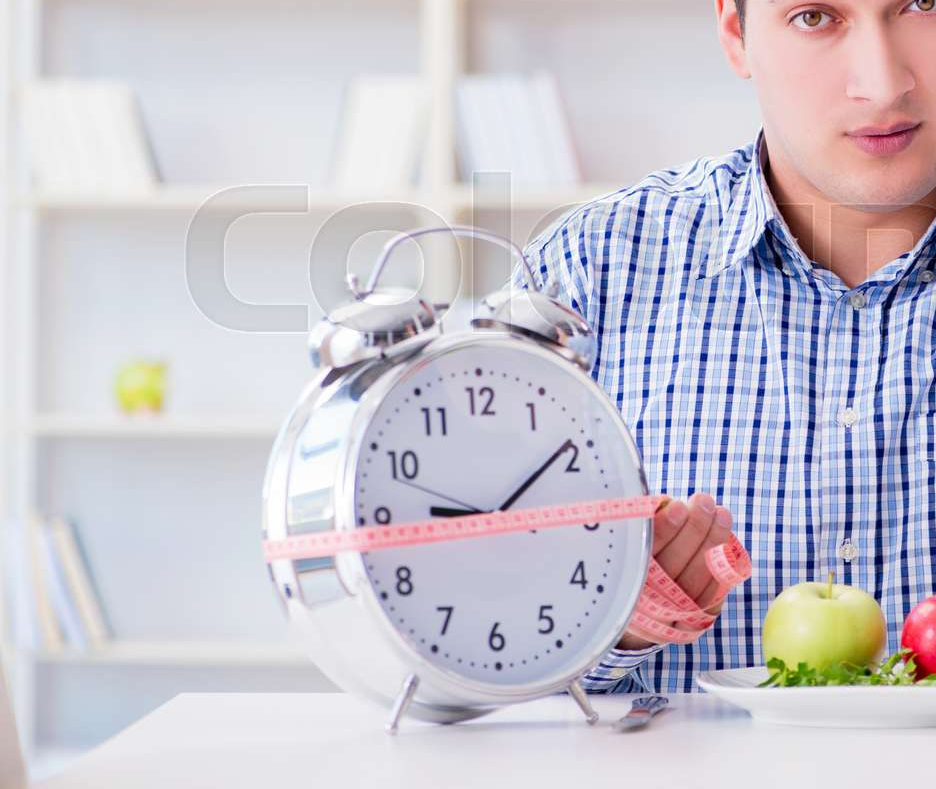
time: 9:09
